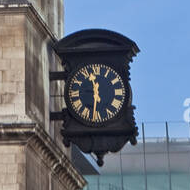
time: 11:32
